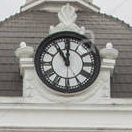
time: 11:00
